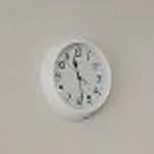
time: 11:28
